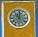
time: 11:01
